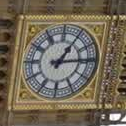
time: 1:14
